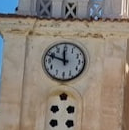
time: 11:48
